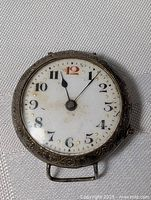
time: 11:06
